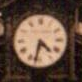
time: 4:32
